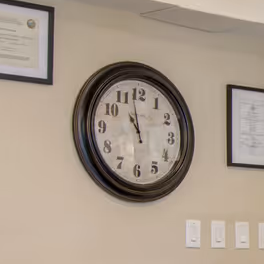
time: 10:58
